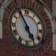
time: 4:55
